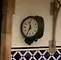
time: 11:35
